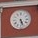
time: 5:26
